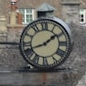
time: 1:41
